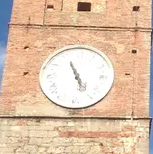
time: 4:55
